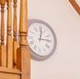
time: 12:14
